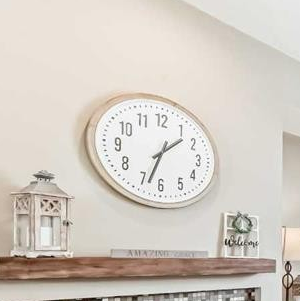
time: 1:33
